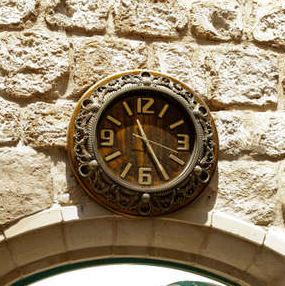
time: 11:25
